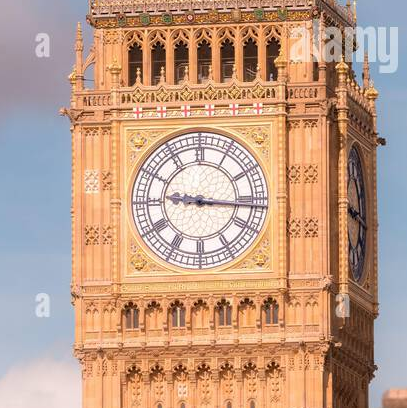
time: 9:15
